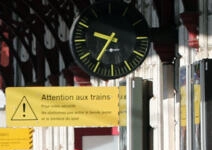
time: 9:36
